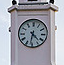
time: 4:31
